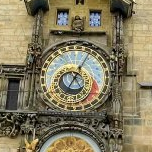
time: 7:04
